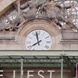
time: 7:57
